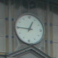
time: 12:45
